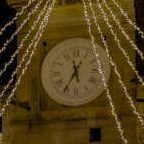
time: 5:35
